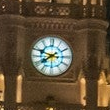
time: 7:48
